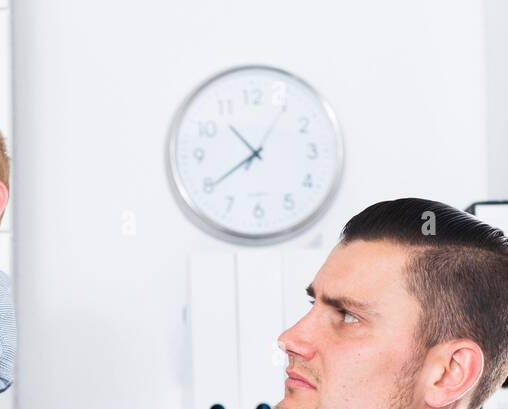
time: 10:39
